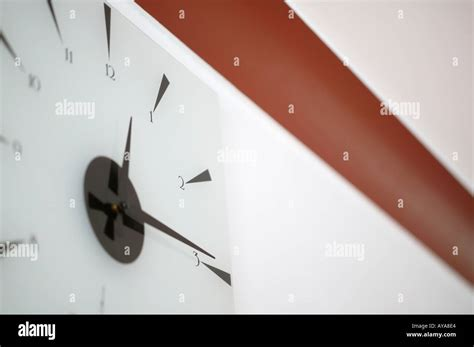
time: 12:19
